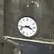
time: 3:42
